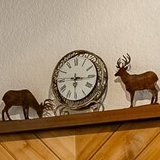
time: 6:15
